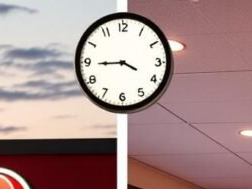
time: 3:44
